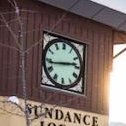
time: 2:43
